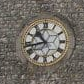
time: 10:42
